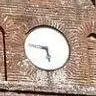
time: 5:46
